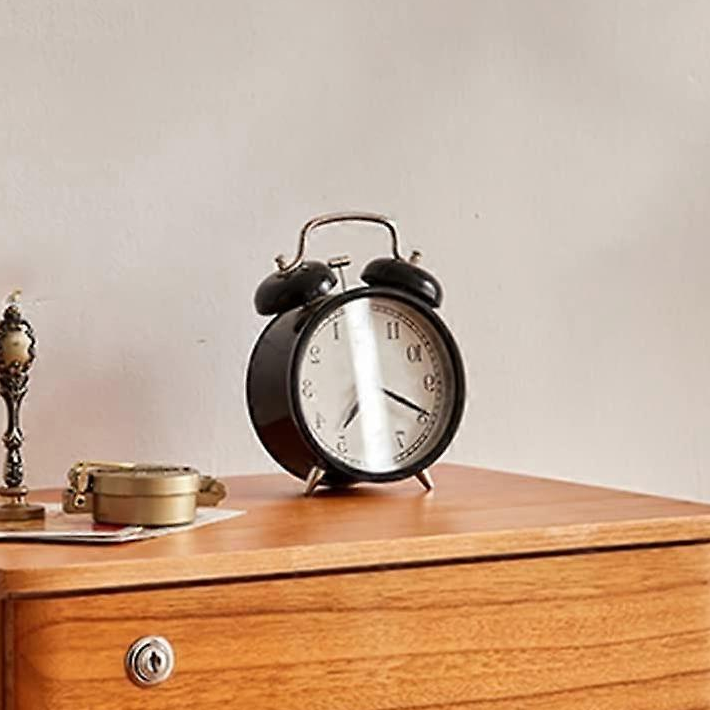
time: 7:19
